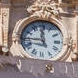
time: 11:45
